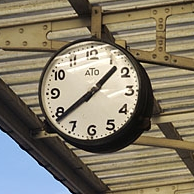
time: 1:38
